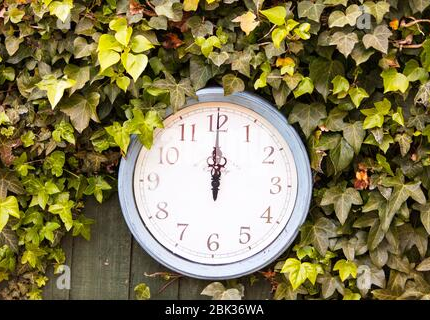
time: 12:00
